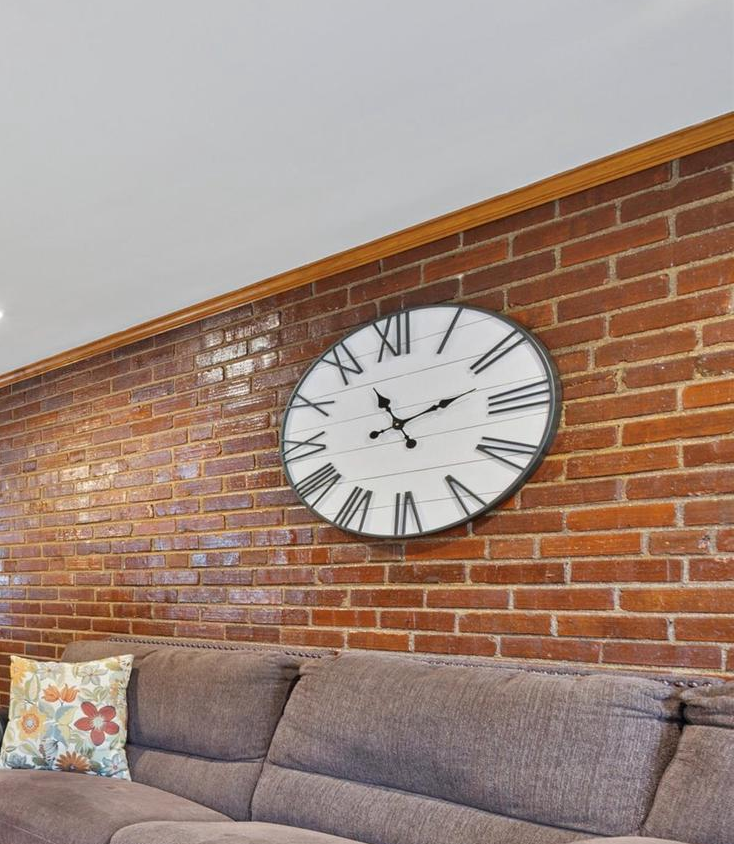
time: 11:12
